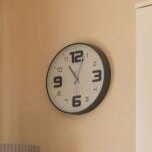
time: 11:03
